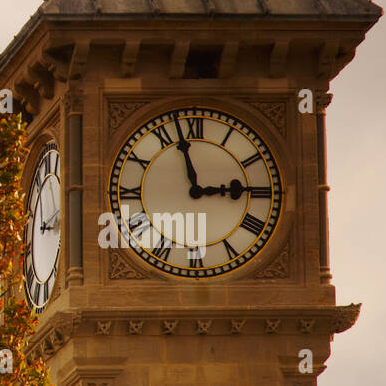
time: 2:57
